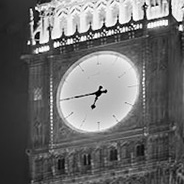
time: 6:45
